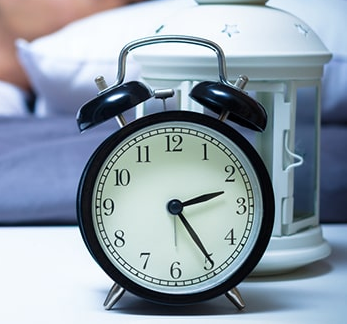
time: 2:24
